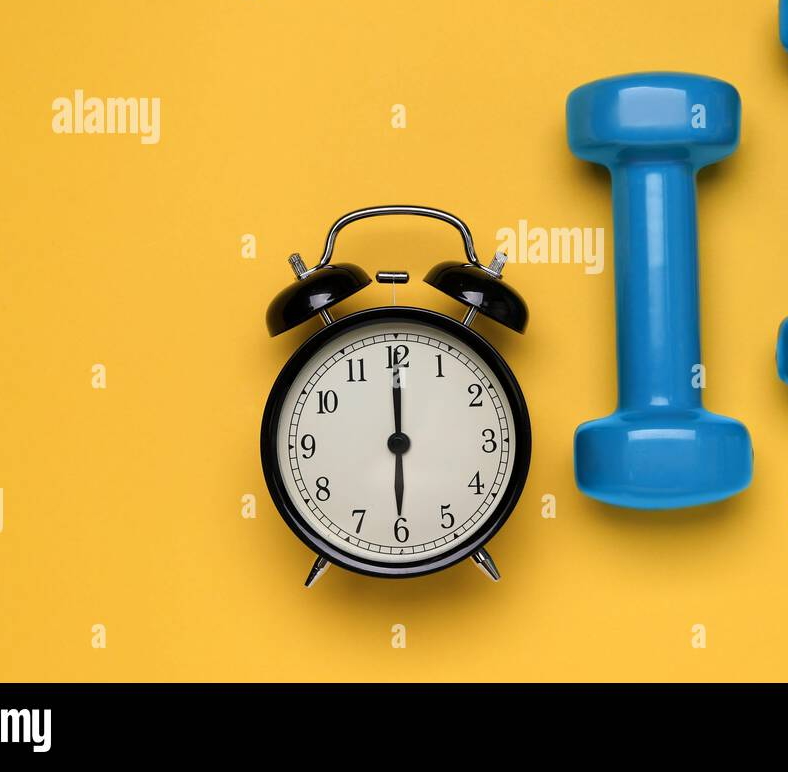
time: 6:00
